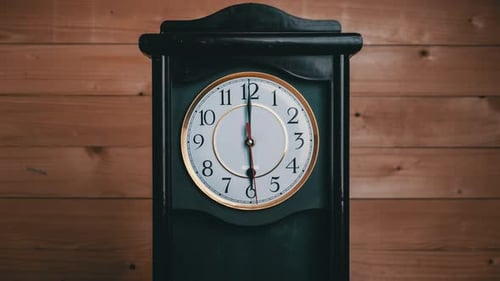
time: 5:59
